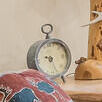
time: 9:25
